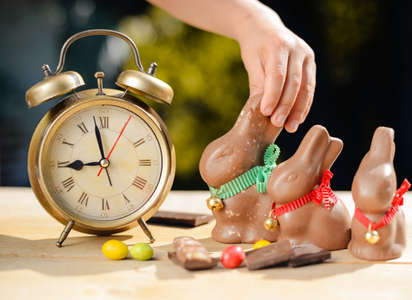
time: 8:58
